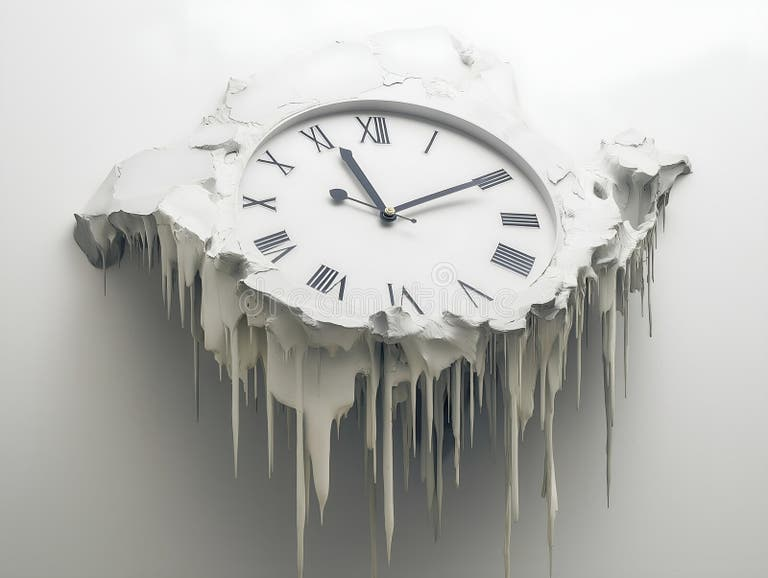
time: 11:10
